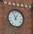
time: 12:56
